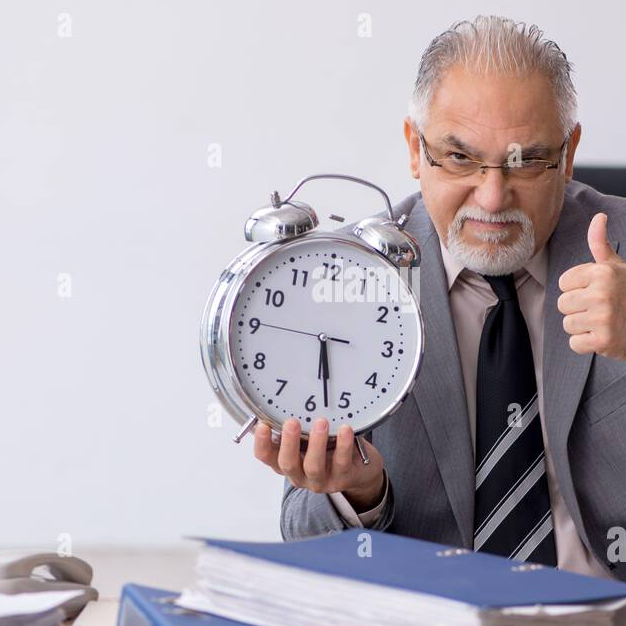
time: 5:27
